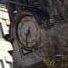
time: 7:32
